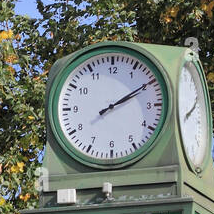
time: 2:09
